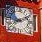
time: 8:11
